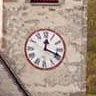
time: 12:18
